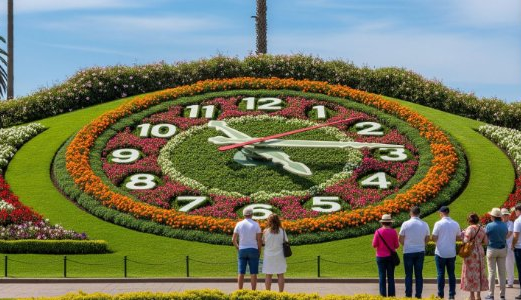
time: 4:14
